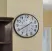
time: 1:39
